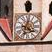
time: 4:02
